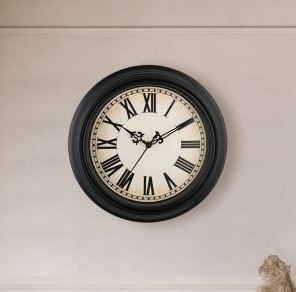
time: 10:09
